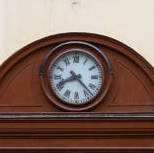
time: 8:22
